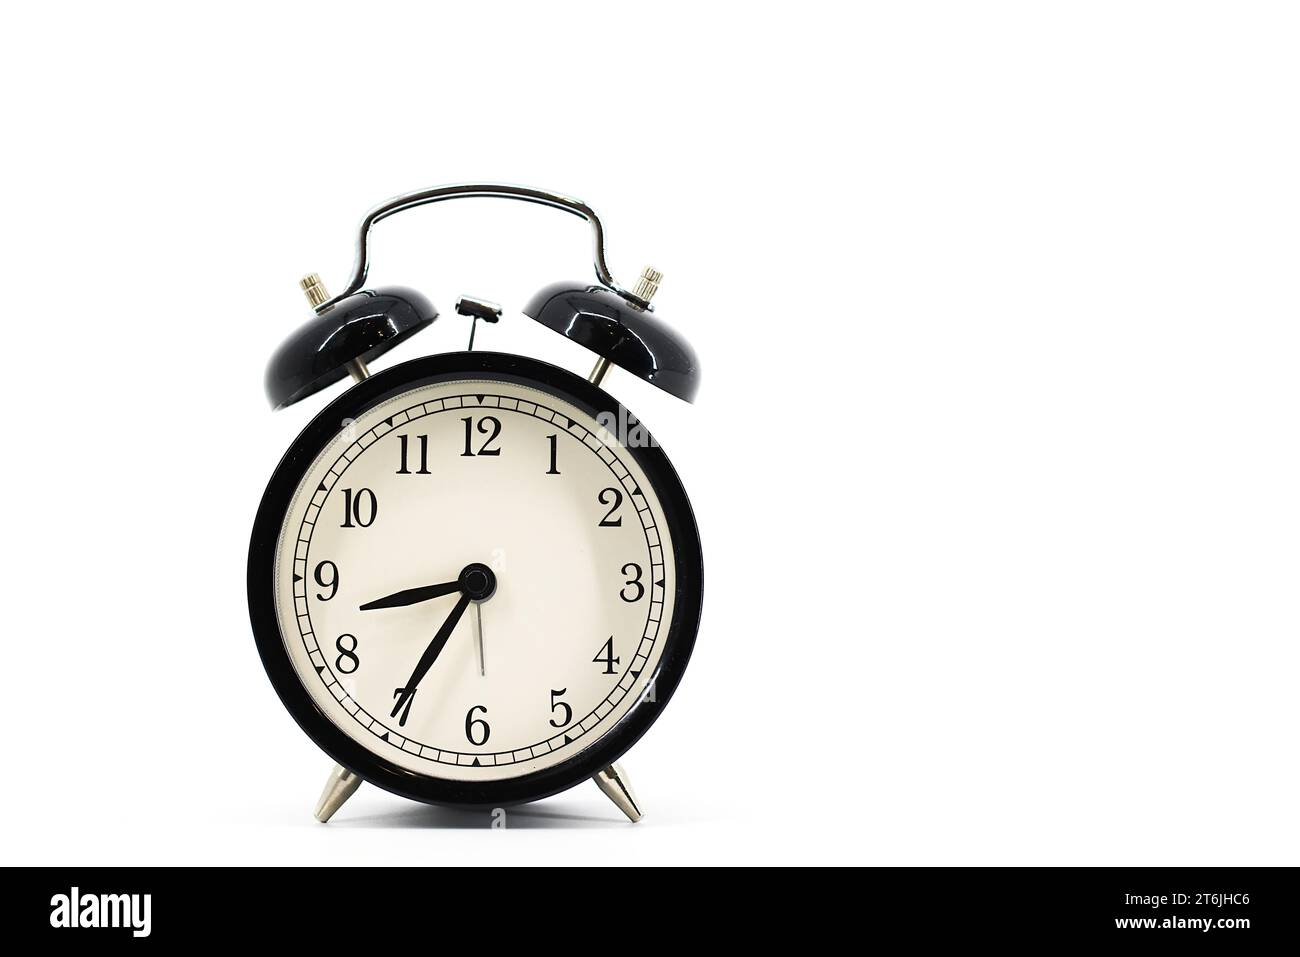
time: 8:35
